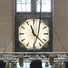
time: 11:22
